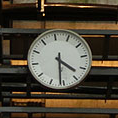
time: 4:31
